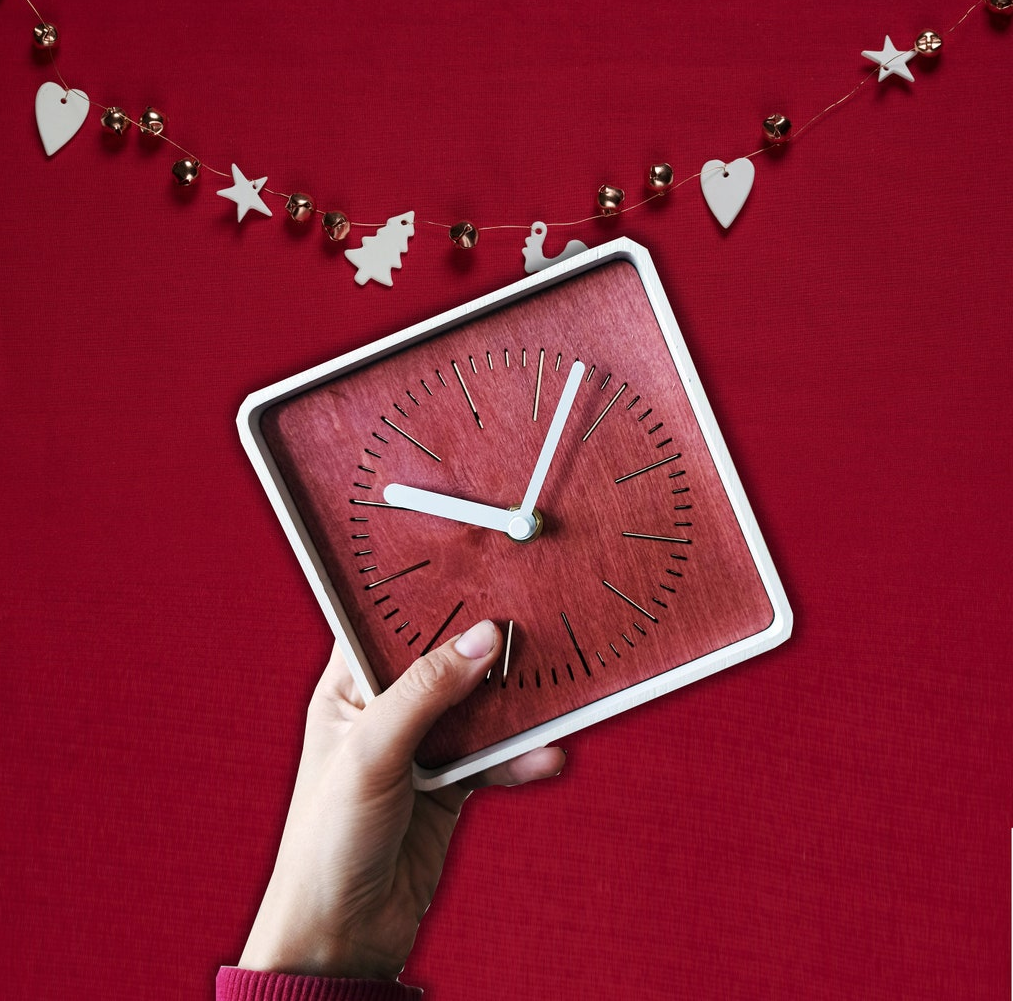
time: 10:07
